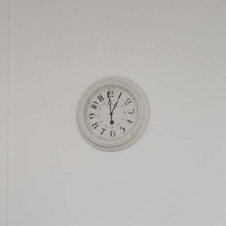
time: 12:59
